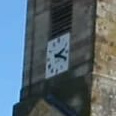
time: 2:18
